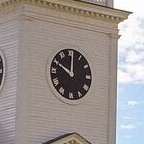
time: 10:00
